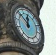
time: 11:51
